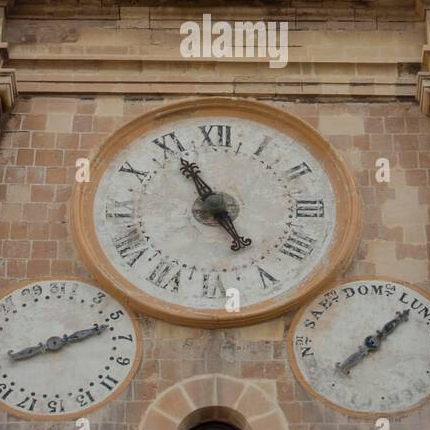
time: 4:55
